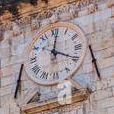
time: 12:19
